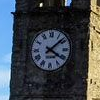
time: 4:08
